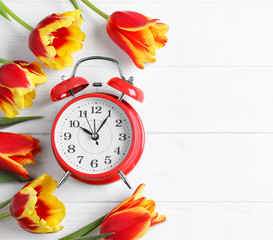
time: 10:05
